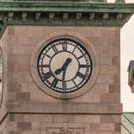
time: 7:31
